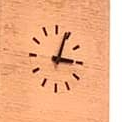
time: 3:03
